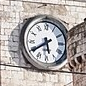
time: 5:39
